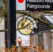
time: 1:42
